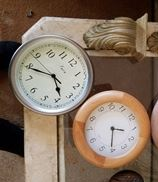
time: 5:49
